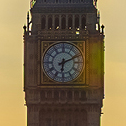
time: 6:11
